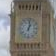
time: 1:01
